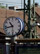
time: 10:42
